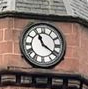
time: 11:21
